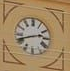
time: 2:41
